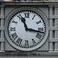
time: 11:17
